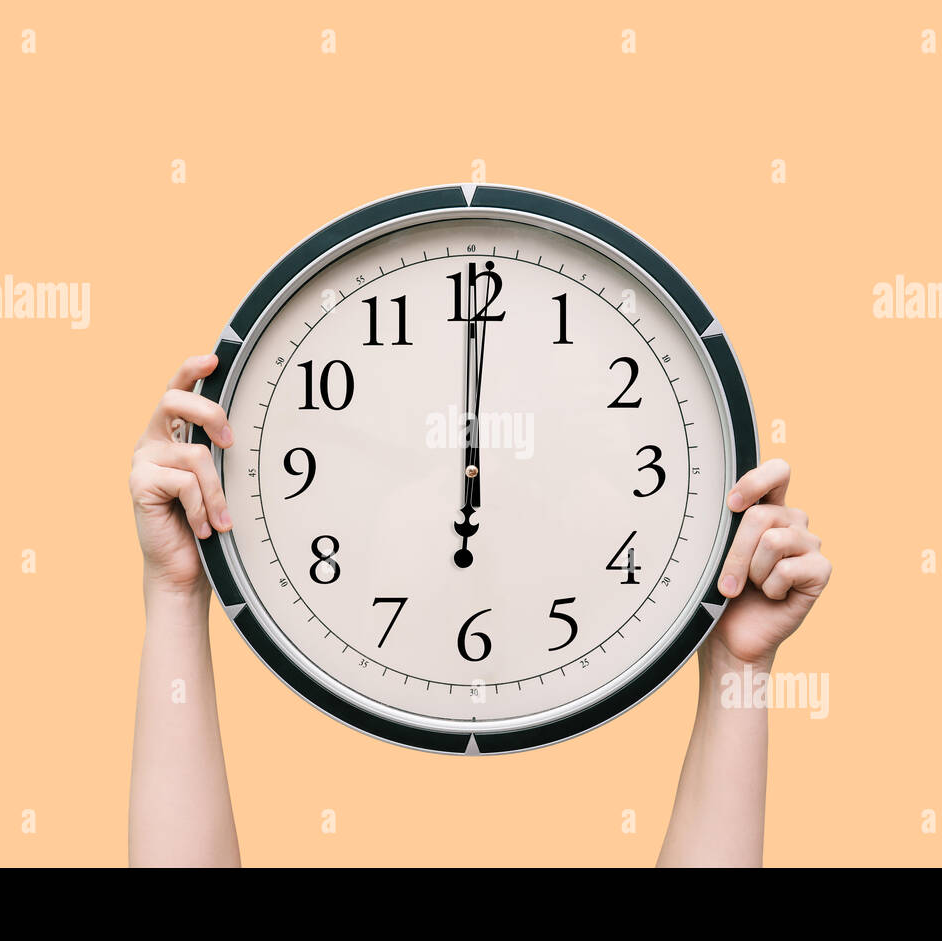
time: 6:00
